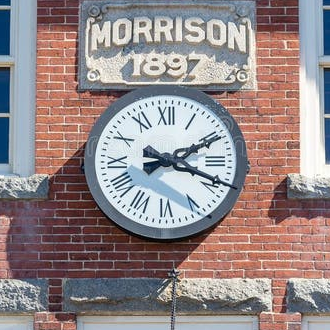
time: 2:18
